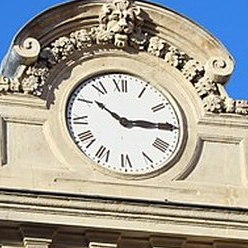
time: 10:14
